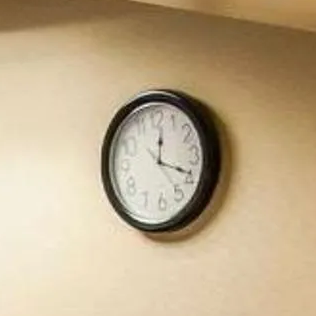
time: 12:19
